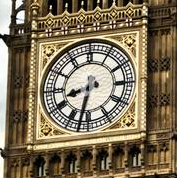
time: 8:32
